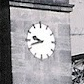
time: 9:42
